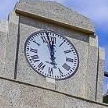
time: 11:57
